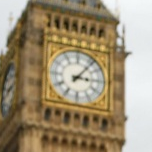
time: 3:06
